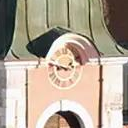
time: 8:47
